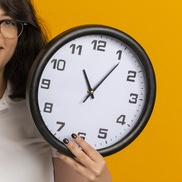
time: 11:06
